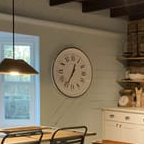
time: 12:34
